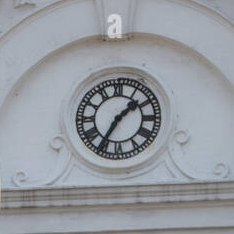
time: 1:35
